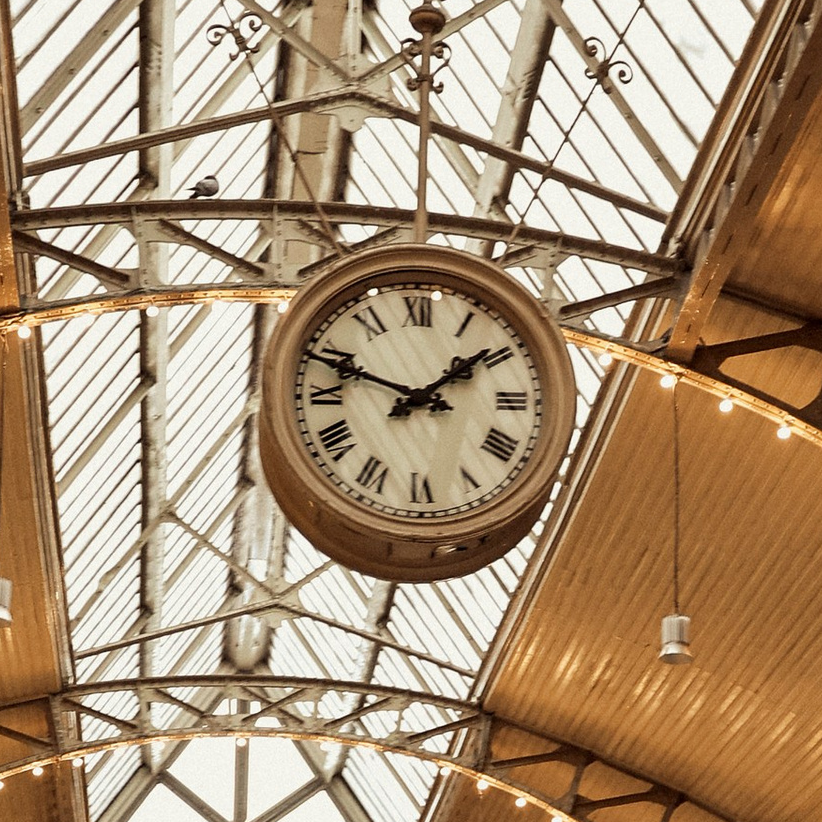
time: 1:48
